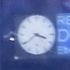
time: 3:39
